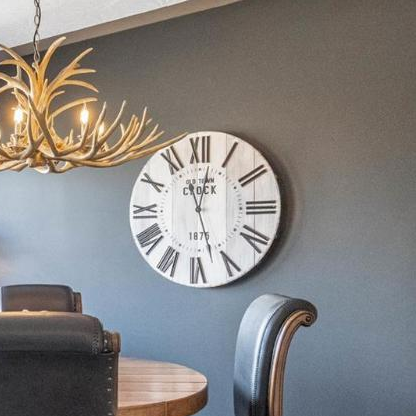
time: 12:27
